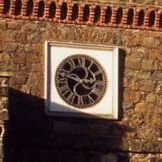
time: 2:47
